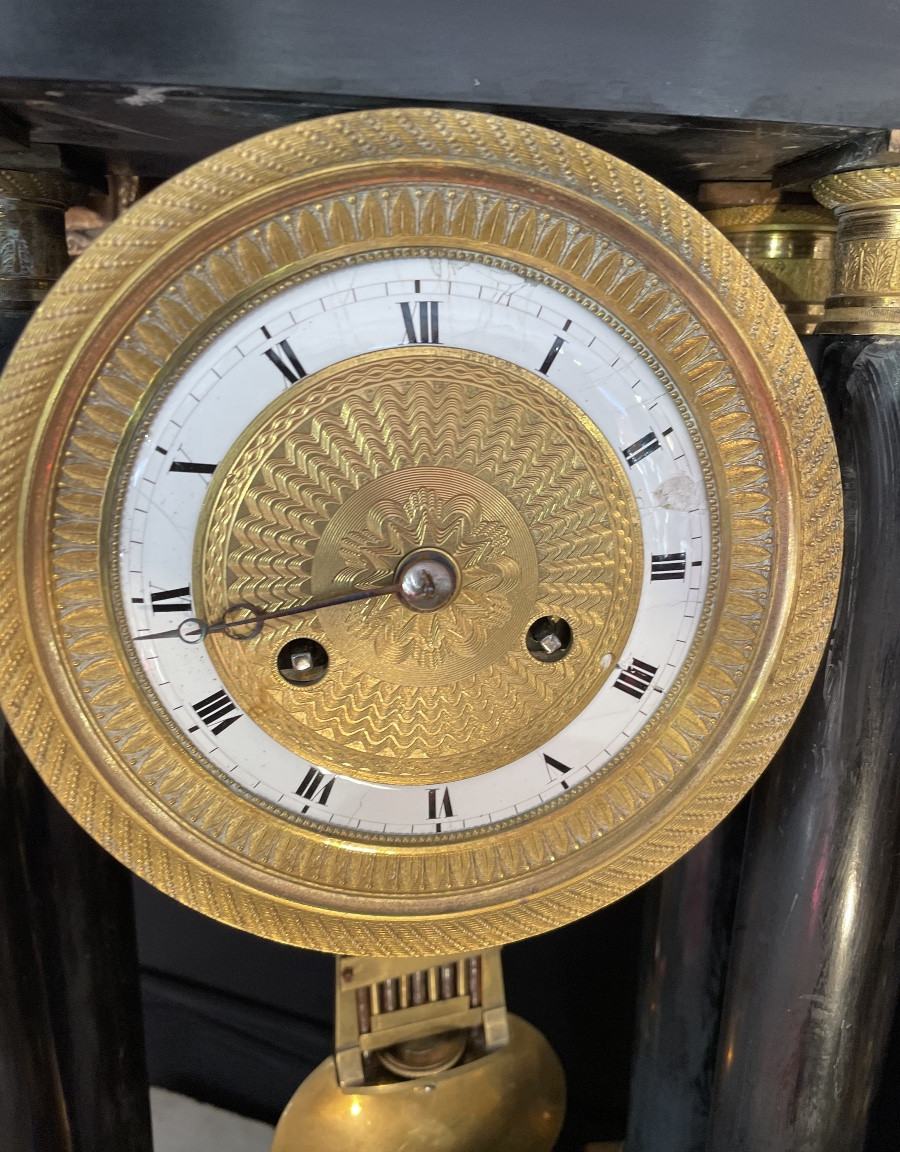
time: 8:43
